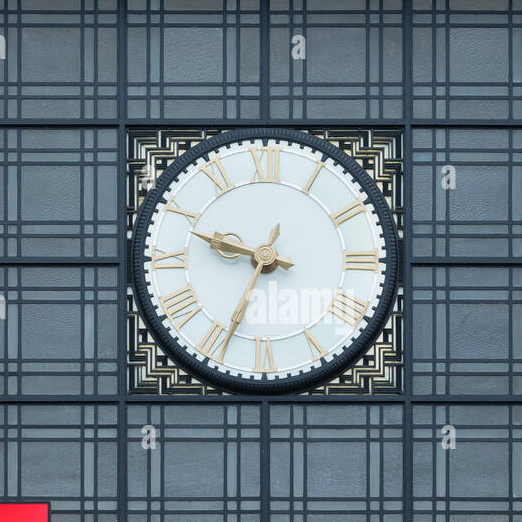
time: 9:34
